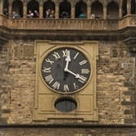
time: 12:19
